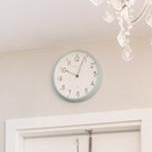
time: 10:03
